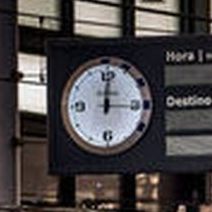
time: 12:16
